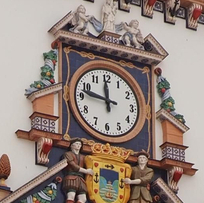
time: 11:46
